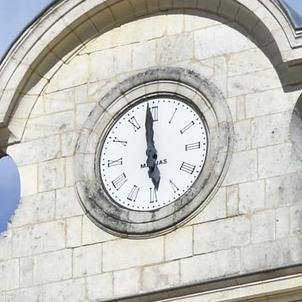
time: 5:59
